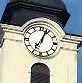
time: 7:04
